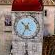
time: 10:34
